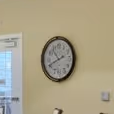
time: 10:41
